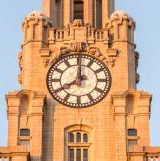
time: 7:59
